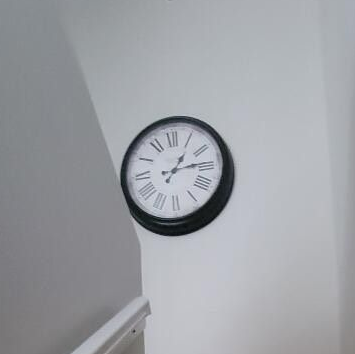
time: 1:13
